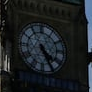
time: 4:25
